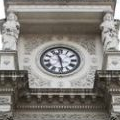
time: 11:28
